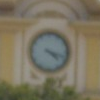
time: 4:17
